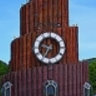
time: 9:35
